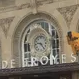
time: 9:22
